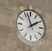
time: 1:57
